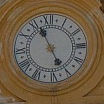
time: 4:56
